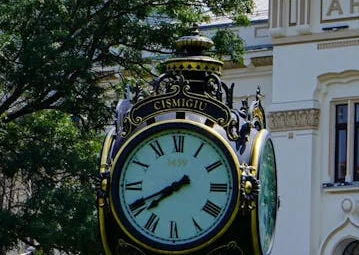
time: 7:40
